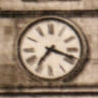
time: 7:18
